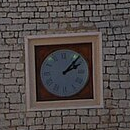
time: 2:07
